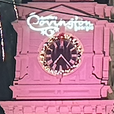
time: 7:23
